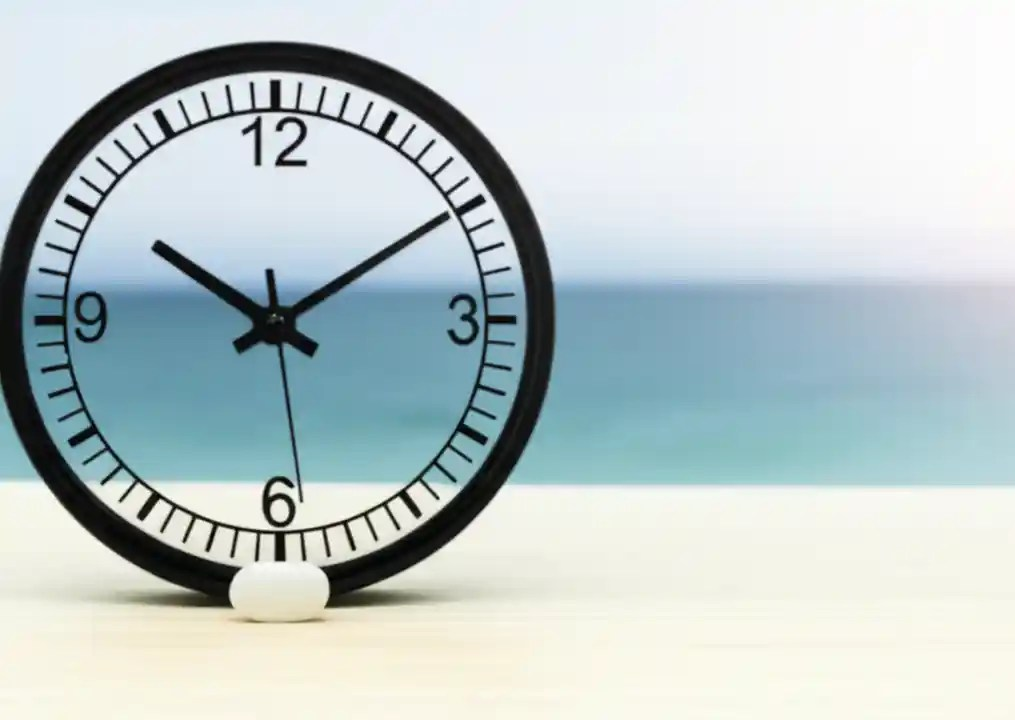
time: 10:09
